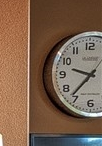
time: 9:36
